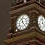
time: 11:24
